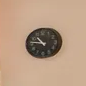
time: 10:46
